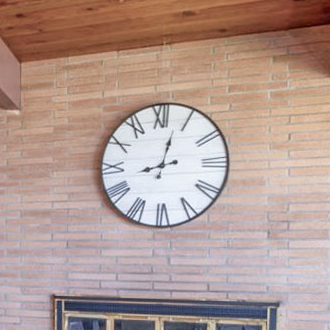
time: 12:42
